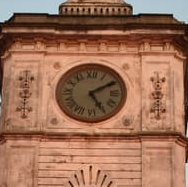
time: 5:09
